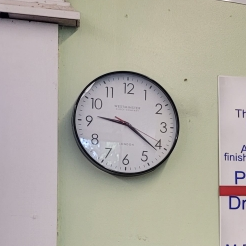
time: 9:21
